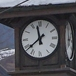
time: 11:38
